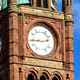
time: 2:44
